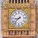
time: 8:37
